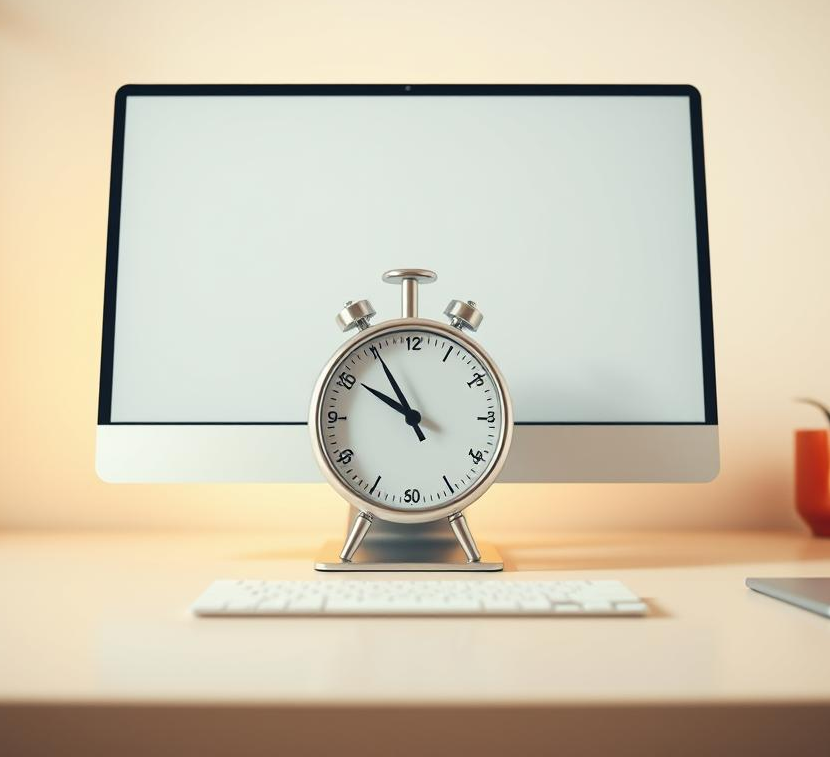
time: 9:55
